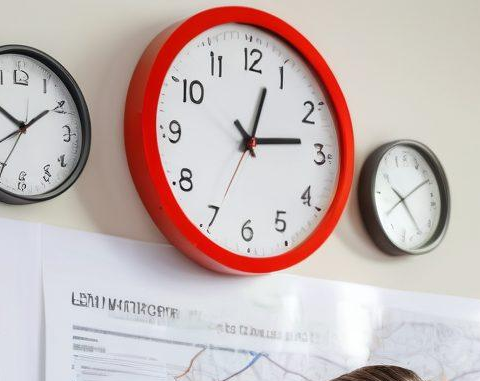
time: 12:13
